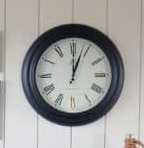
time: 12:03
